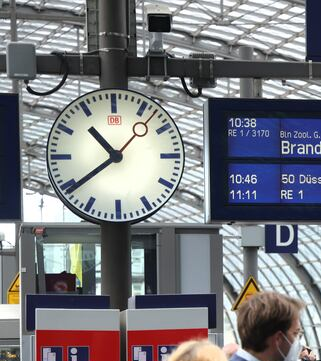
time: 10:38
